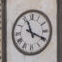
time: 11:19
